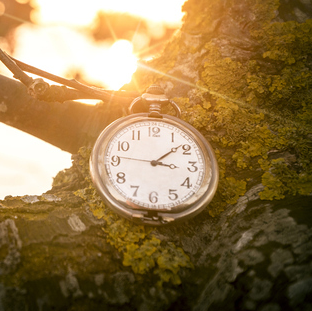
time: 3:08
